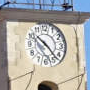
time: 10:23
